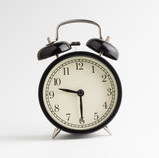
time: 9:29
